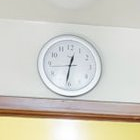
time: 12:32
